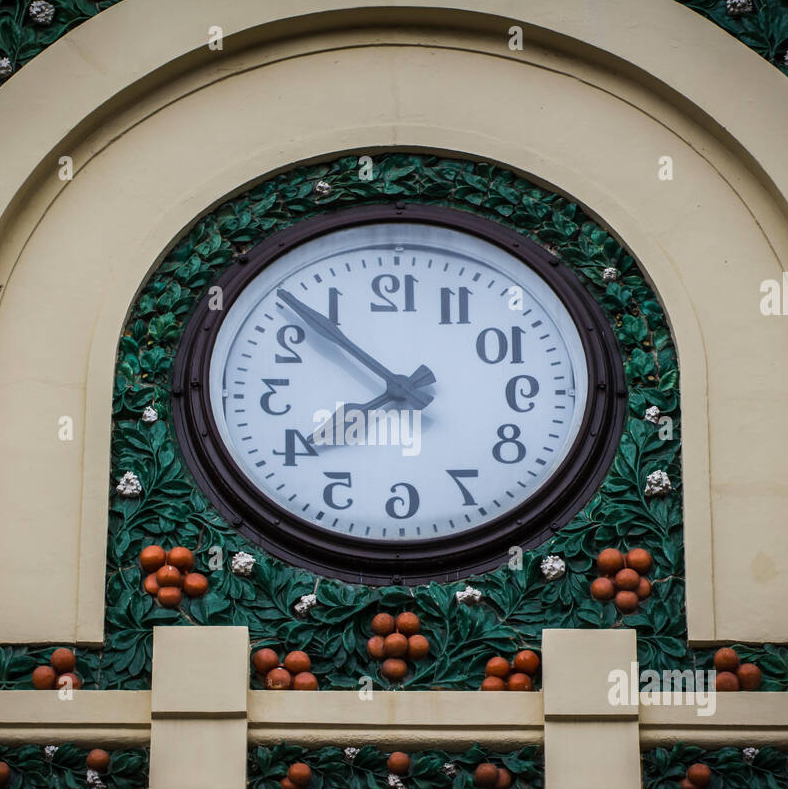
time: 7:52
